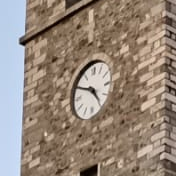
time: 4:49
